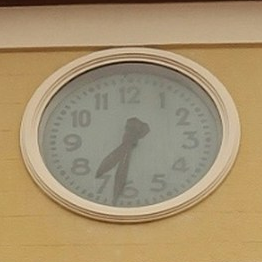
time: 7:31
